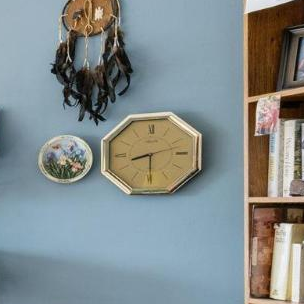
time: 8:29
